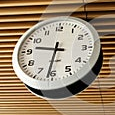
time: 9:31
